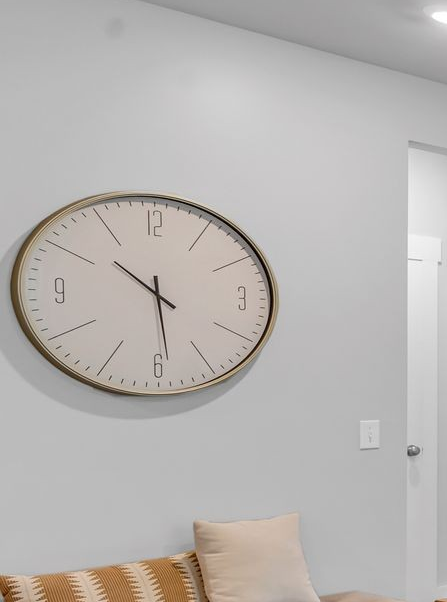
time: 10:28
